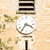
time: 3:35
